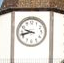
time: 9:42
